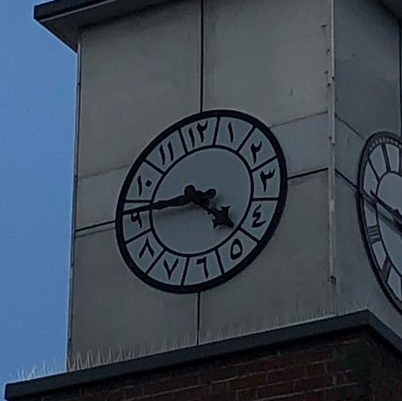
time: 4:45
